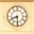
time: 8:29
